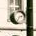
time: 2:36
